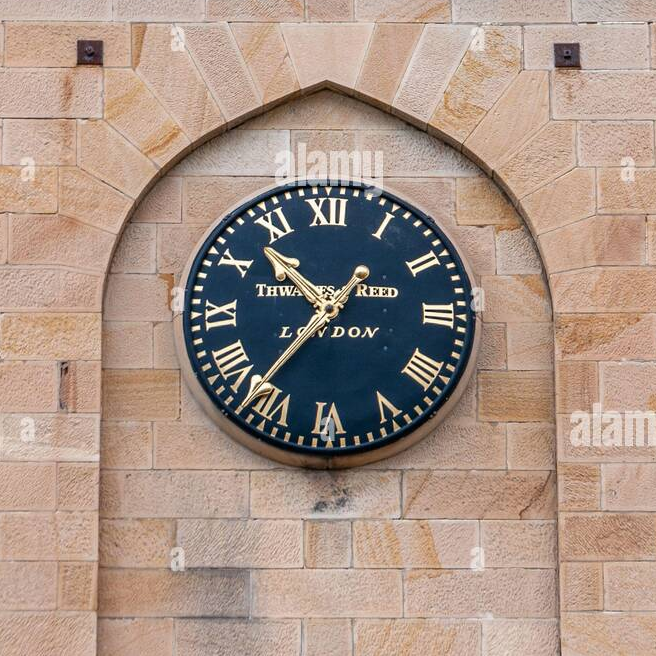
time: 10:36
